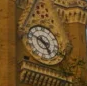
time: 4:48
